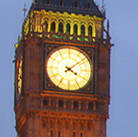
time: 4:08
